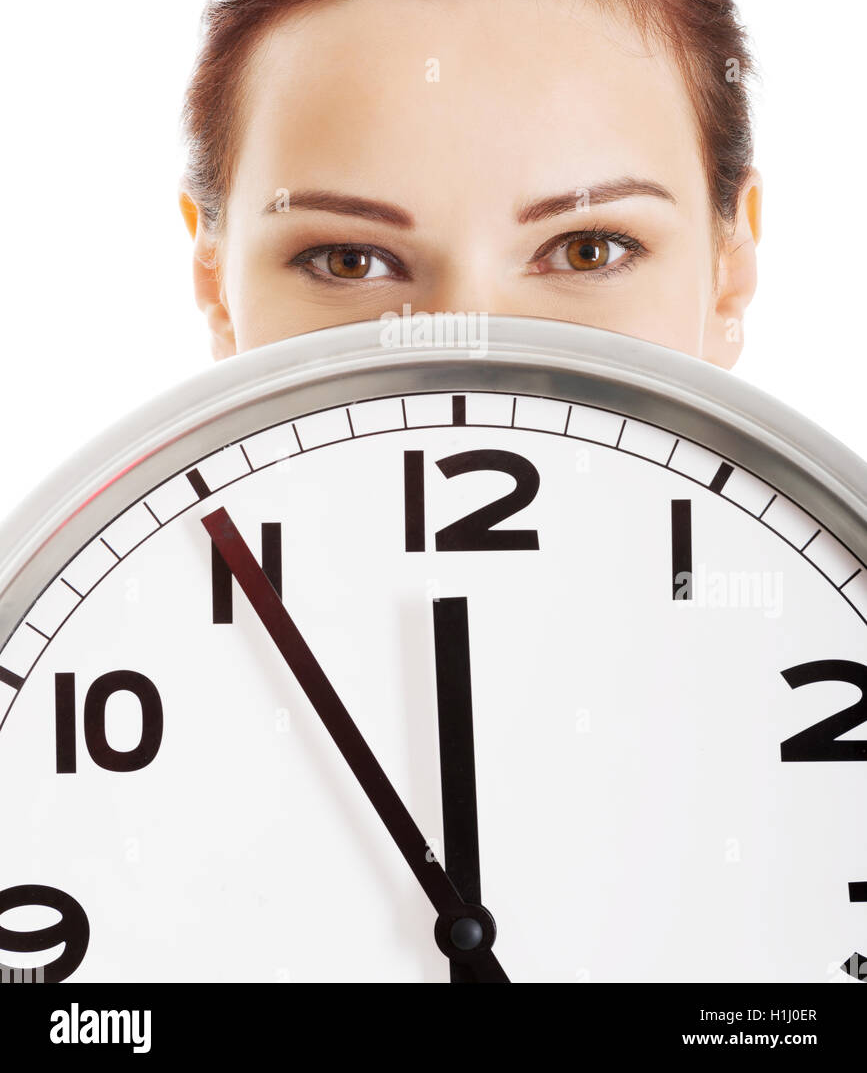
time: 11:54
